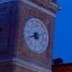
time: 8:11
